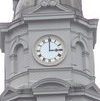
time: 2:59
